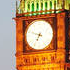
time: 6:48
